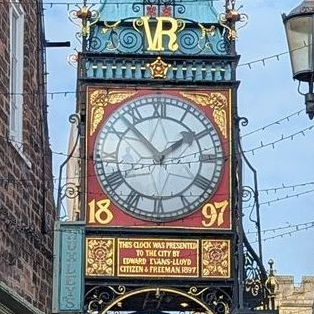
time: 1:52
